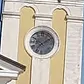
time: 7:09
